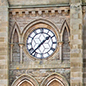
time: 1:37
